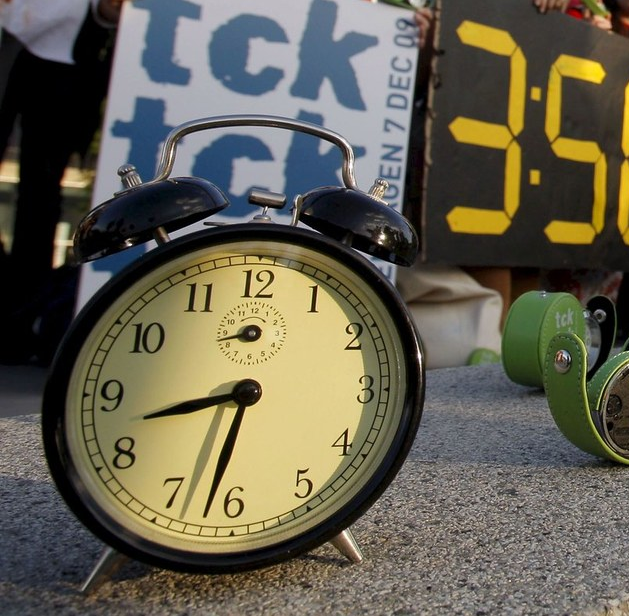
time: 8:32
